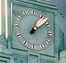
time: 1:08
